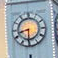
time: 8:30
